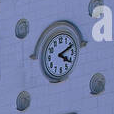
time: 4:10
